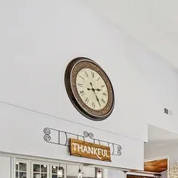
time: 2:24
